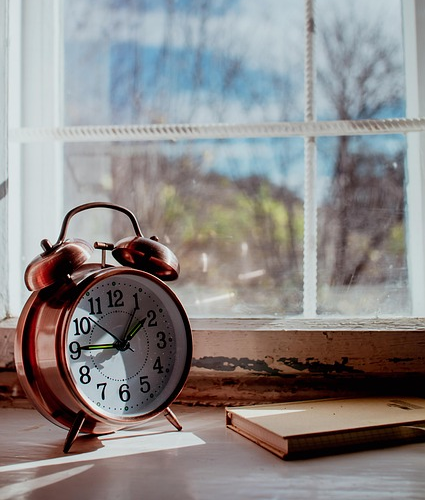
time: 1:08
